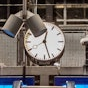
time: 12:27
